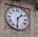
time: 1:30
